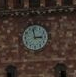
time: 2:58
